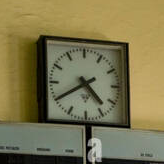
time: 4:39
